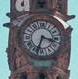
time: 3:33
